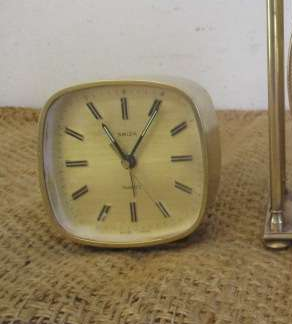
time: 11:05
